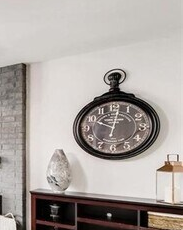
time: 10:01
